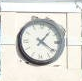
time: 1:20
